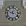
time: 11:48
